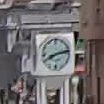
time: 8:12
